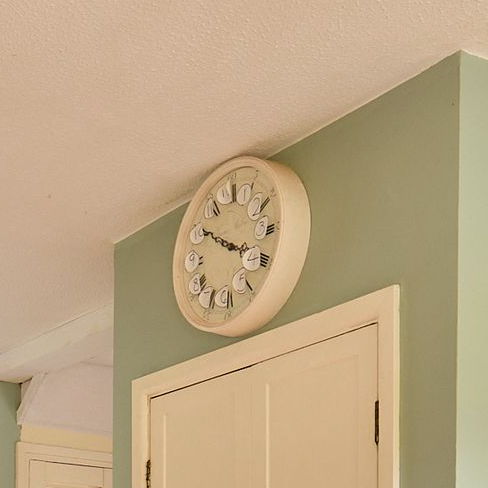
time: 3:50
